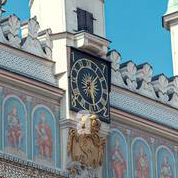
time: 1:28
